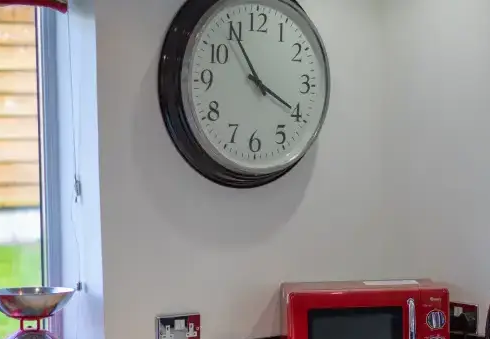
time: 3:54
